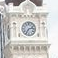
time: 7:12
